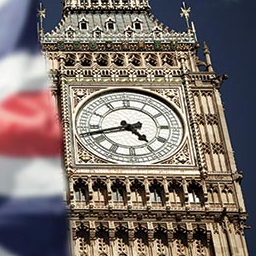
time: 4:42
